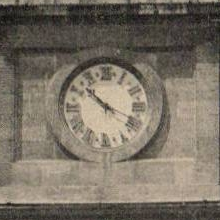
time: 10:18
